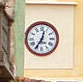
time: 12:35
